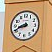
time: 8:41
